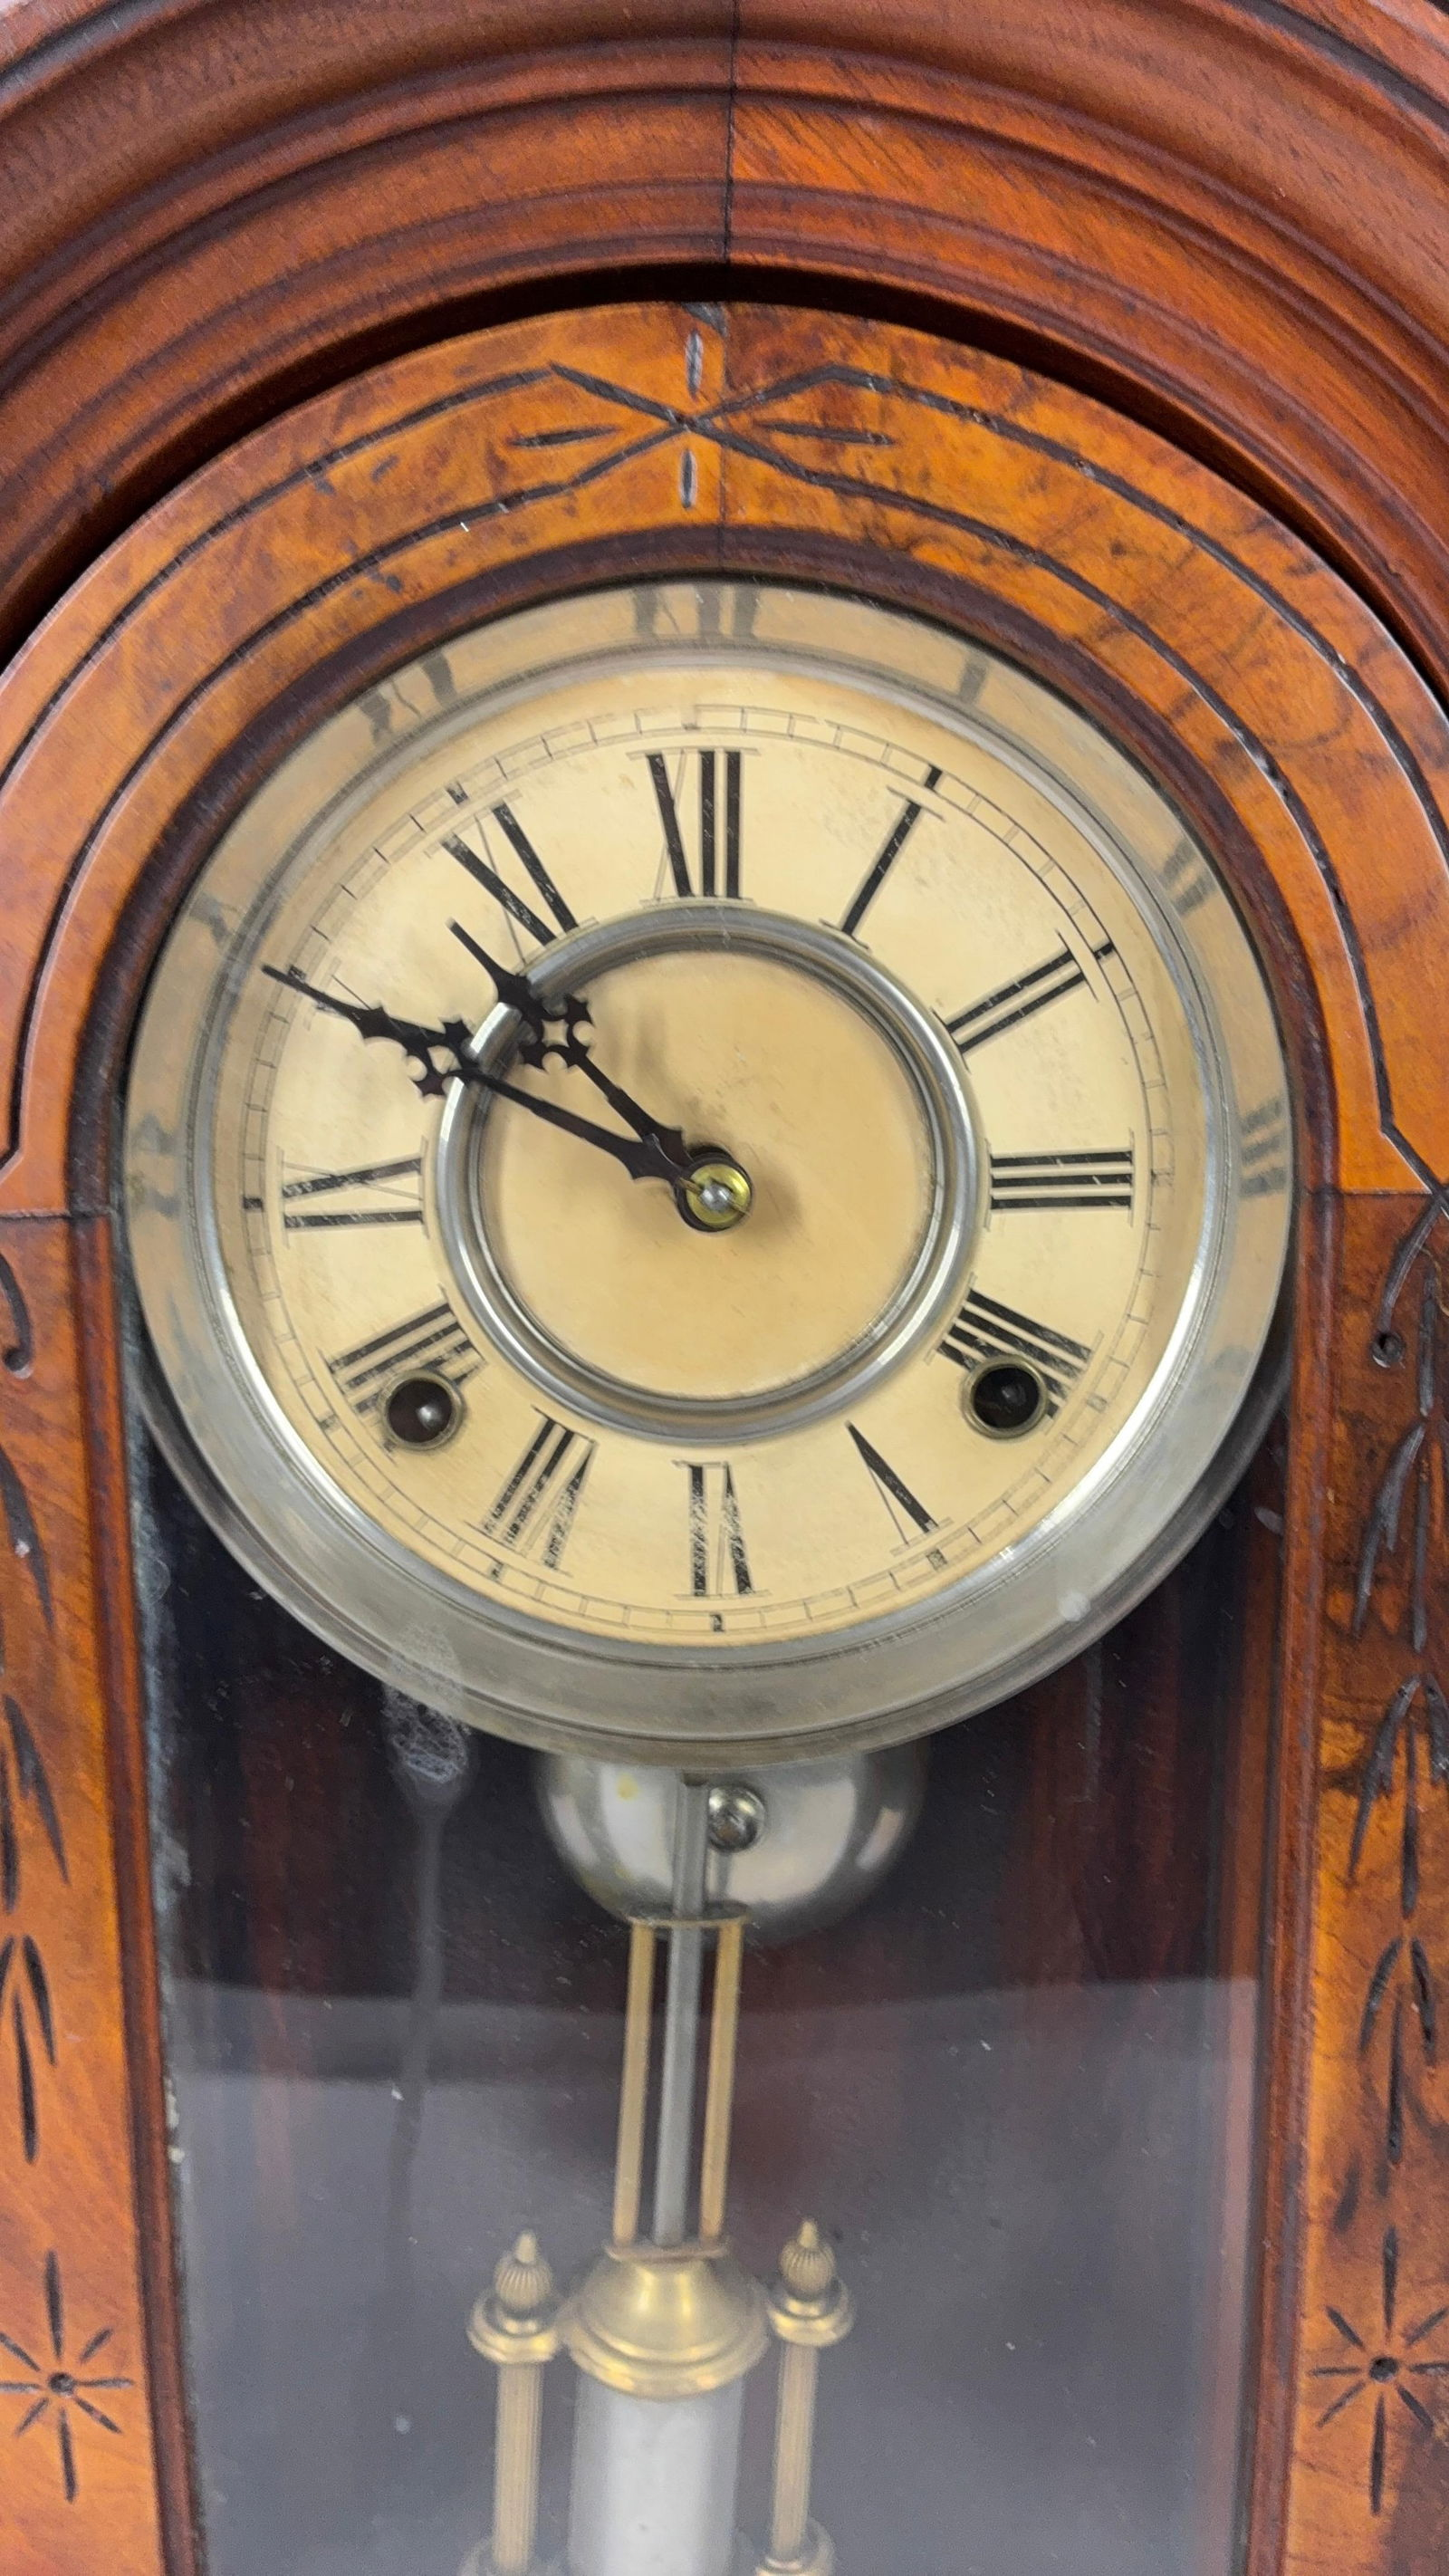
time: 10:50
